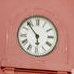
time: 5:53
